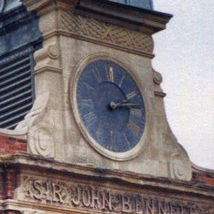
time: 2:13
